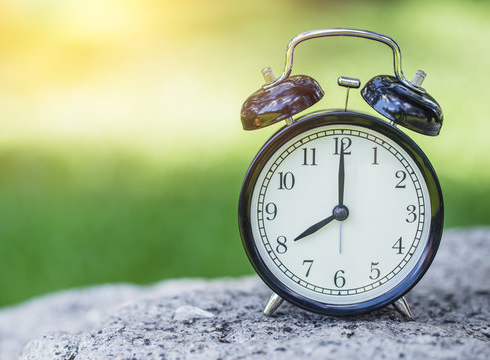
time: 8:00
